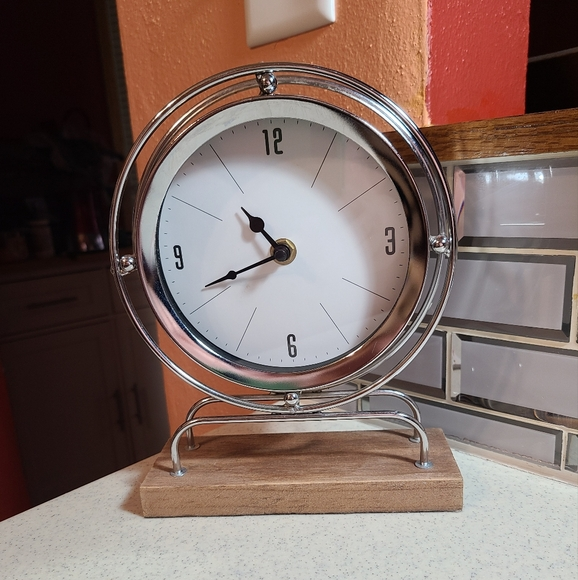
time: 10:41
